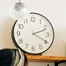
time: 2:19
